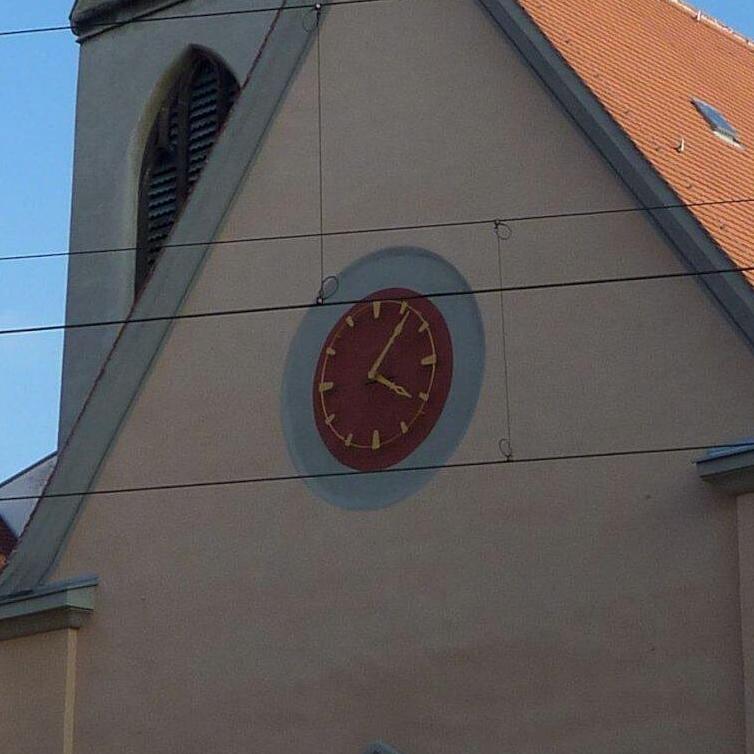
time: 4:06
